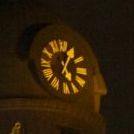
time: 5:05
